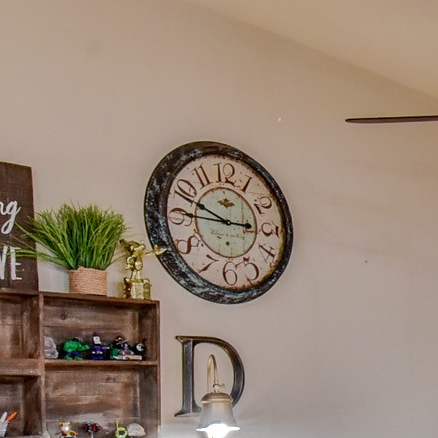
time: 2:48
